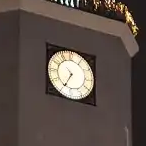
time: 10:34
